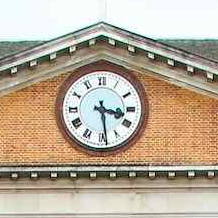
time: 3:28
